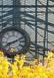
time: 8:11
